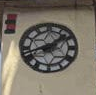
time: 1:41
